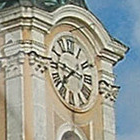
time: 7:46
